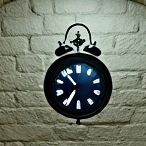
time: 10:34
